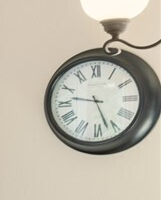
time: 9:26
